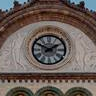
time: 1:50
